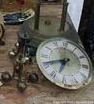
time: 6:41
